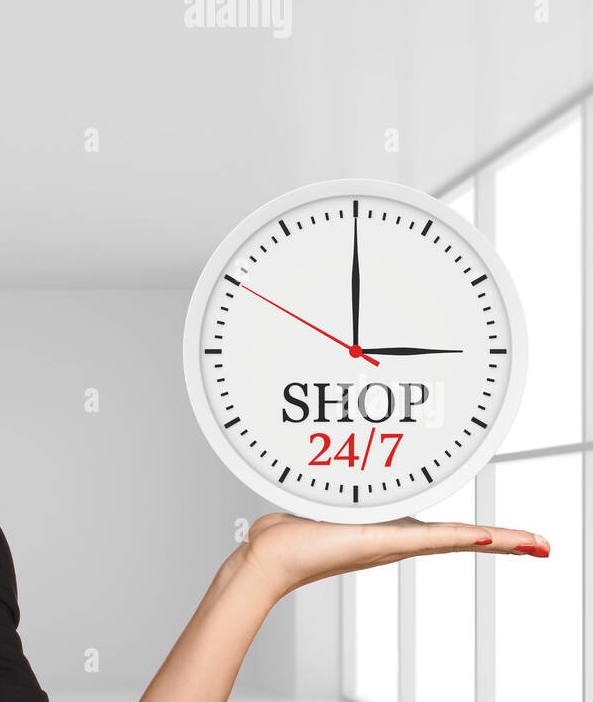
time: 3:00
